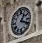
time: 1:18
